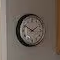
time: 1:50
